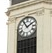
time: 1:54
